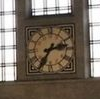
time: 2:35
